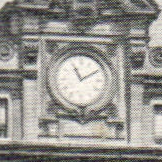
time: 11:09
